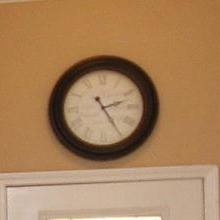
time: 2:24
